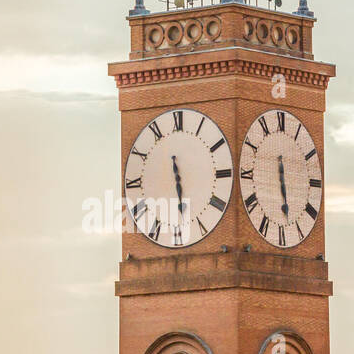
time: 5:28
